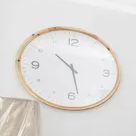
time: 10:28
